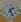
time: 1:26
